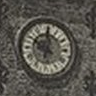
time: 10:00
